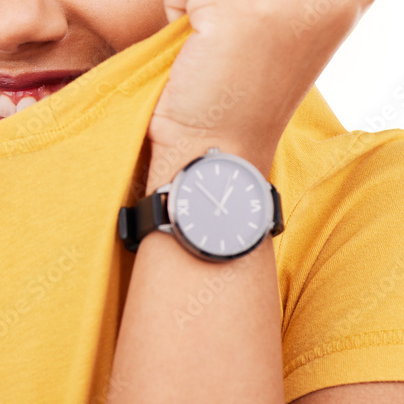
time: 12:52
